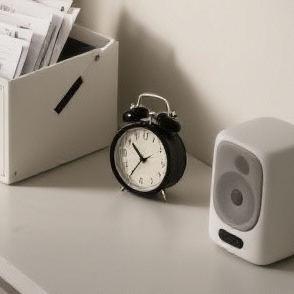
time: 10:35
